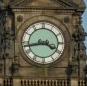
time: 3:43
